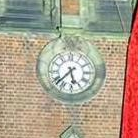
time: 5:38
